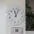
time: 11:03
